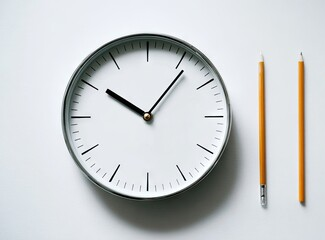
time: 10:06
